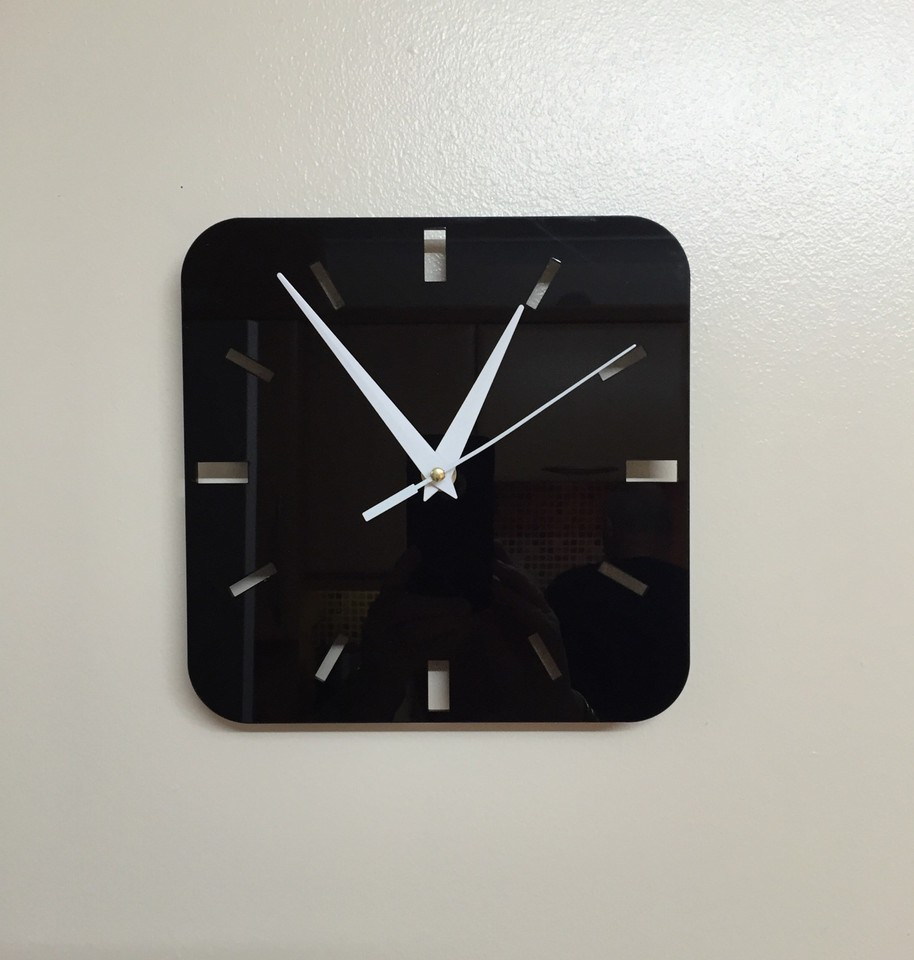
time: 12:53
